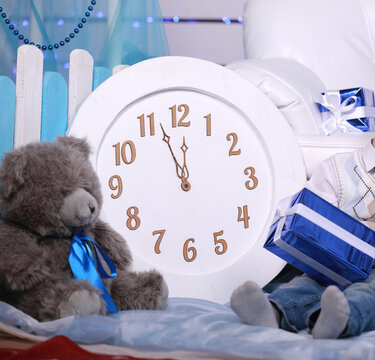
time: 11:56
